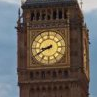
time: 8:40
